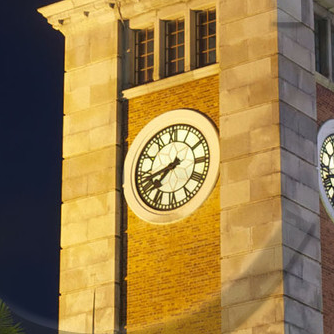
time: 7:42
